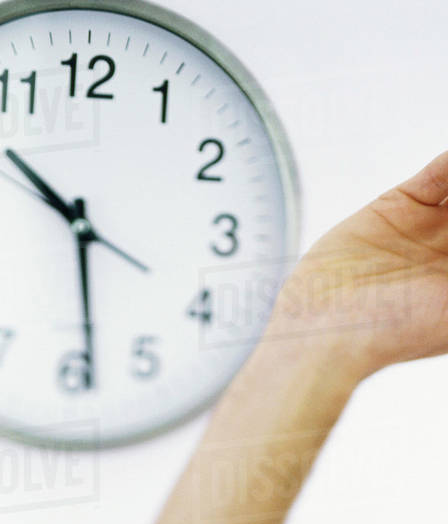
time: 10:28
